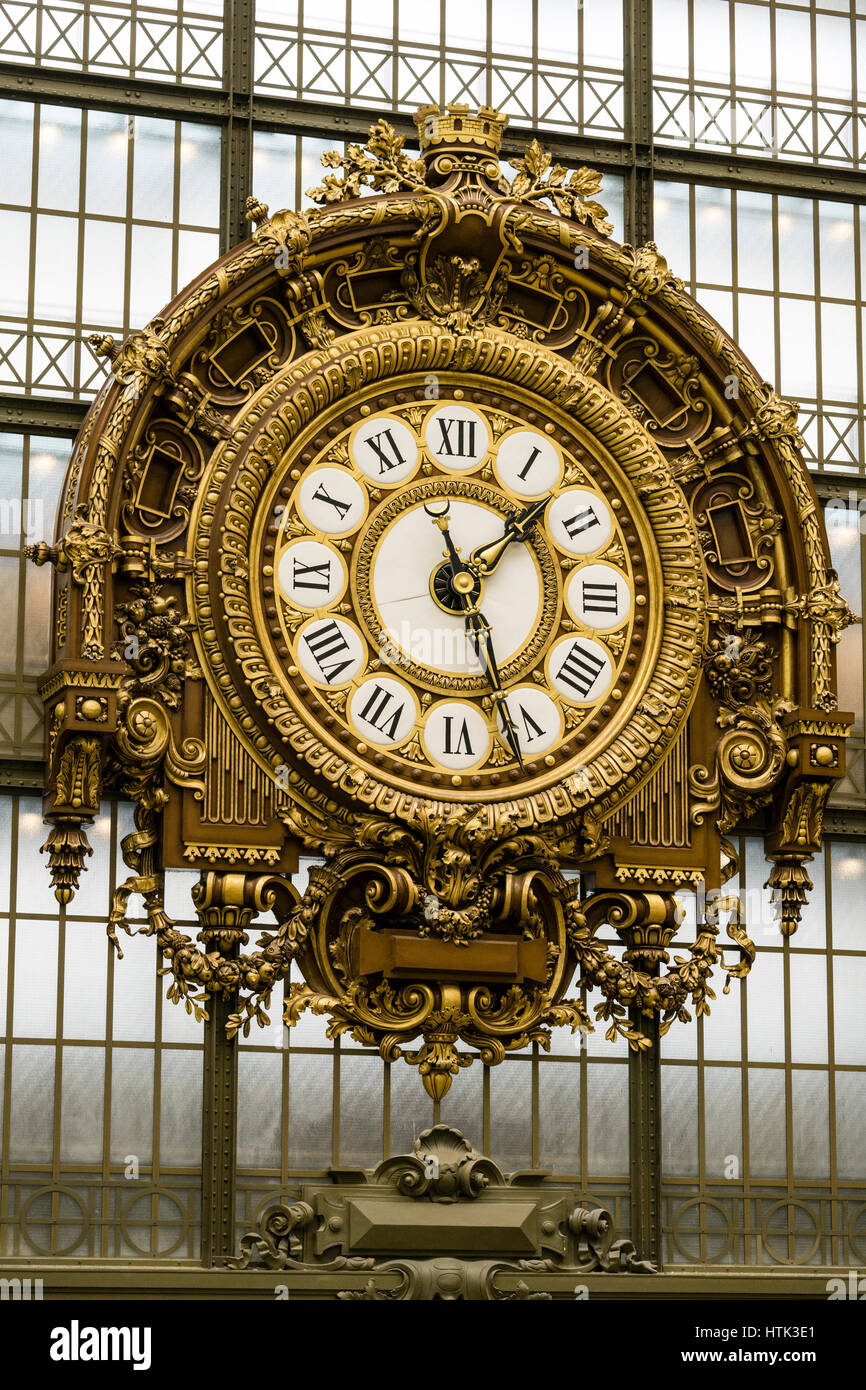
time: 1:26
